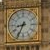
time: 8:34
